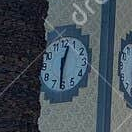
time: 12:30
